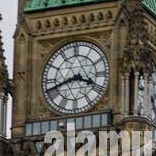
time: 3:41
